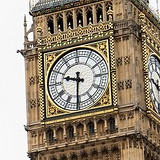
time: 9:31
